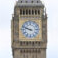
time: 9:48
